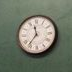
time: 11:36
